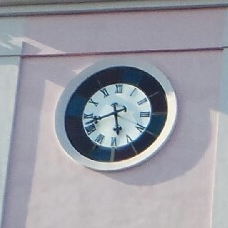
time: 5:42
